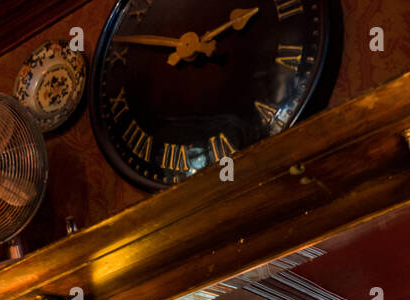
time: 1:46
